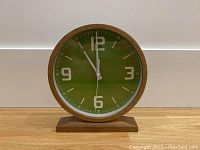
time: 10:59
